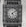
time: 5:08
